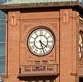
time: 4:27
